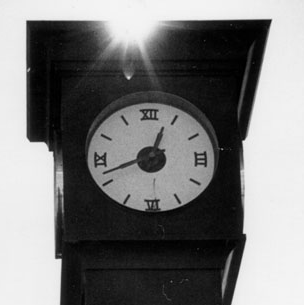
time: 12:41
